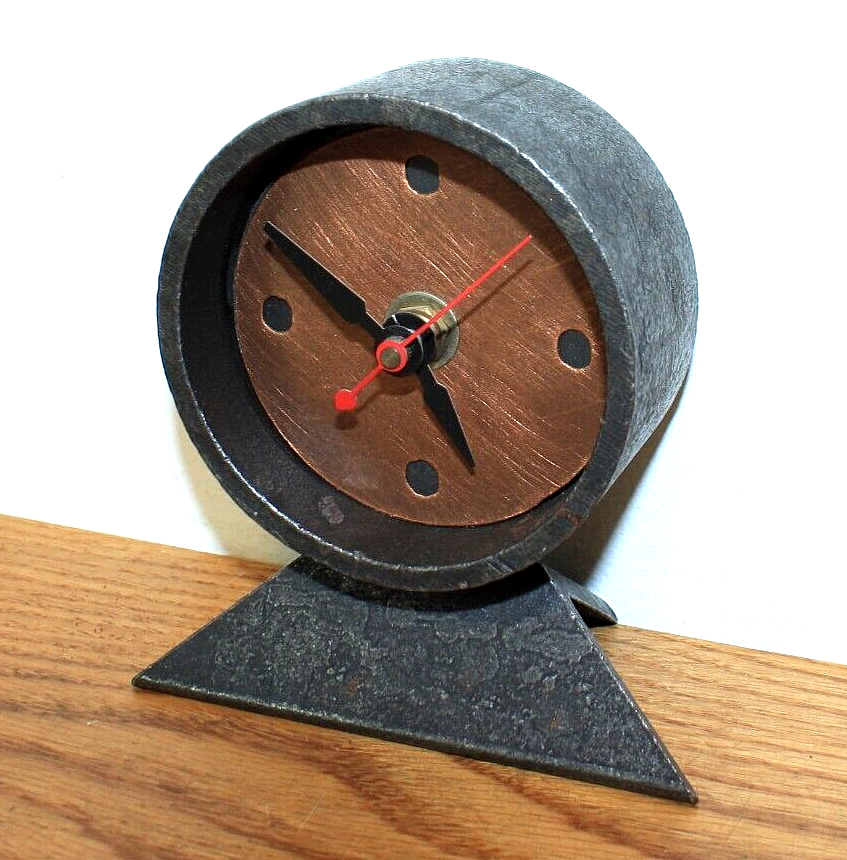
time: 4:50
